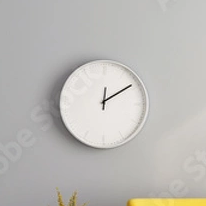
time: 12:09
